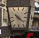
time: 10:21
